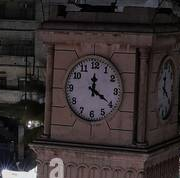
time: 12:20
